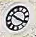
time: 10:20
